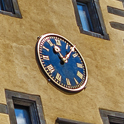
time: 11:07
